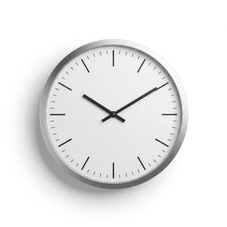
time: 10:09
